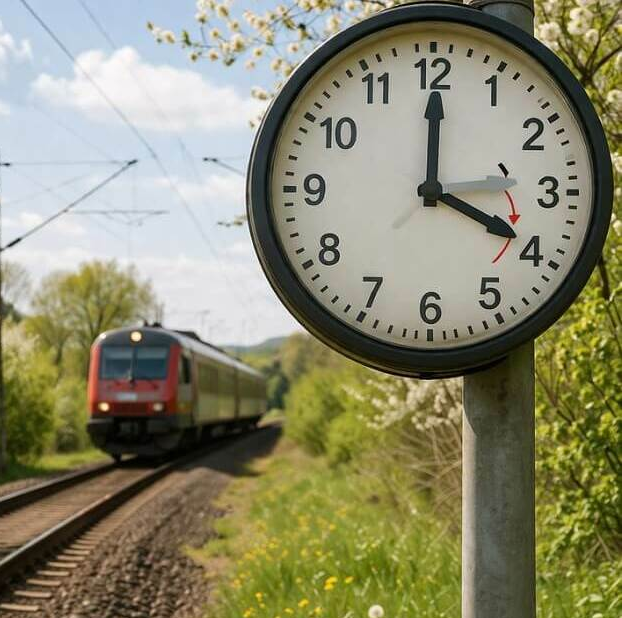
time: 4:00
